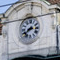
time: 2:38
